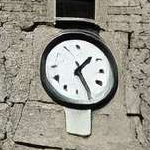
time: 1:25
